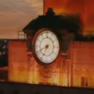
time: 6:40
